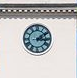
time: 3:09
